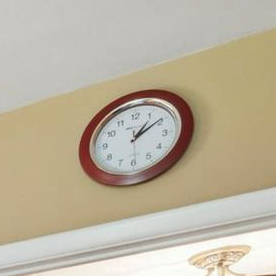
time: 1:09
